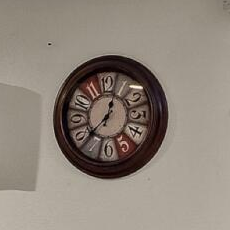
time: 12:37
